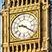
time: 9:20
